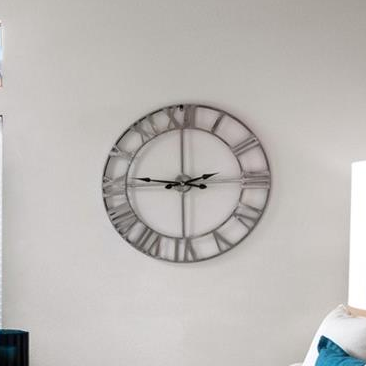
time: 2:46
